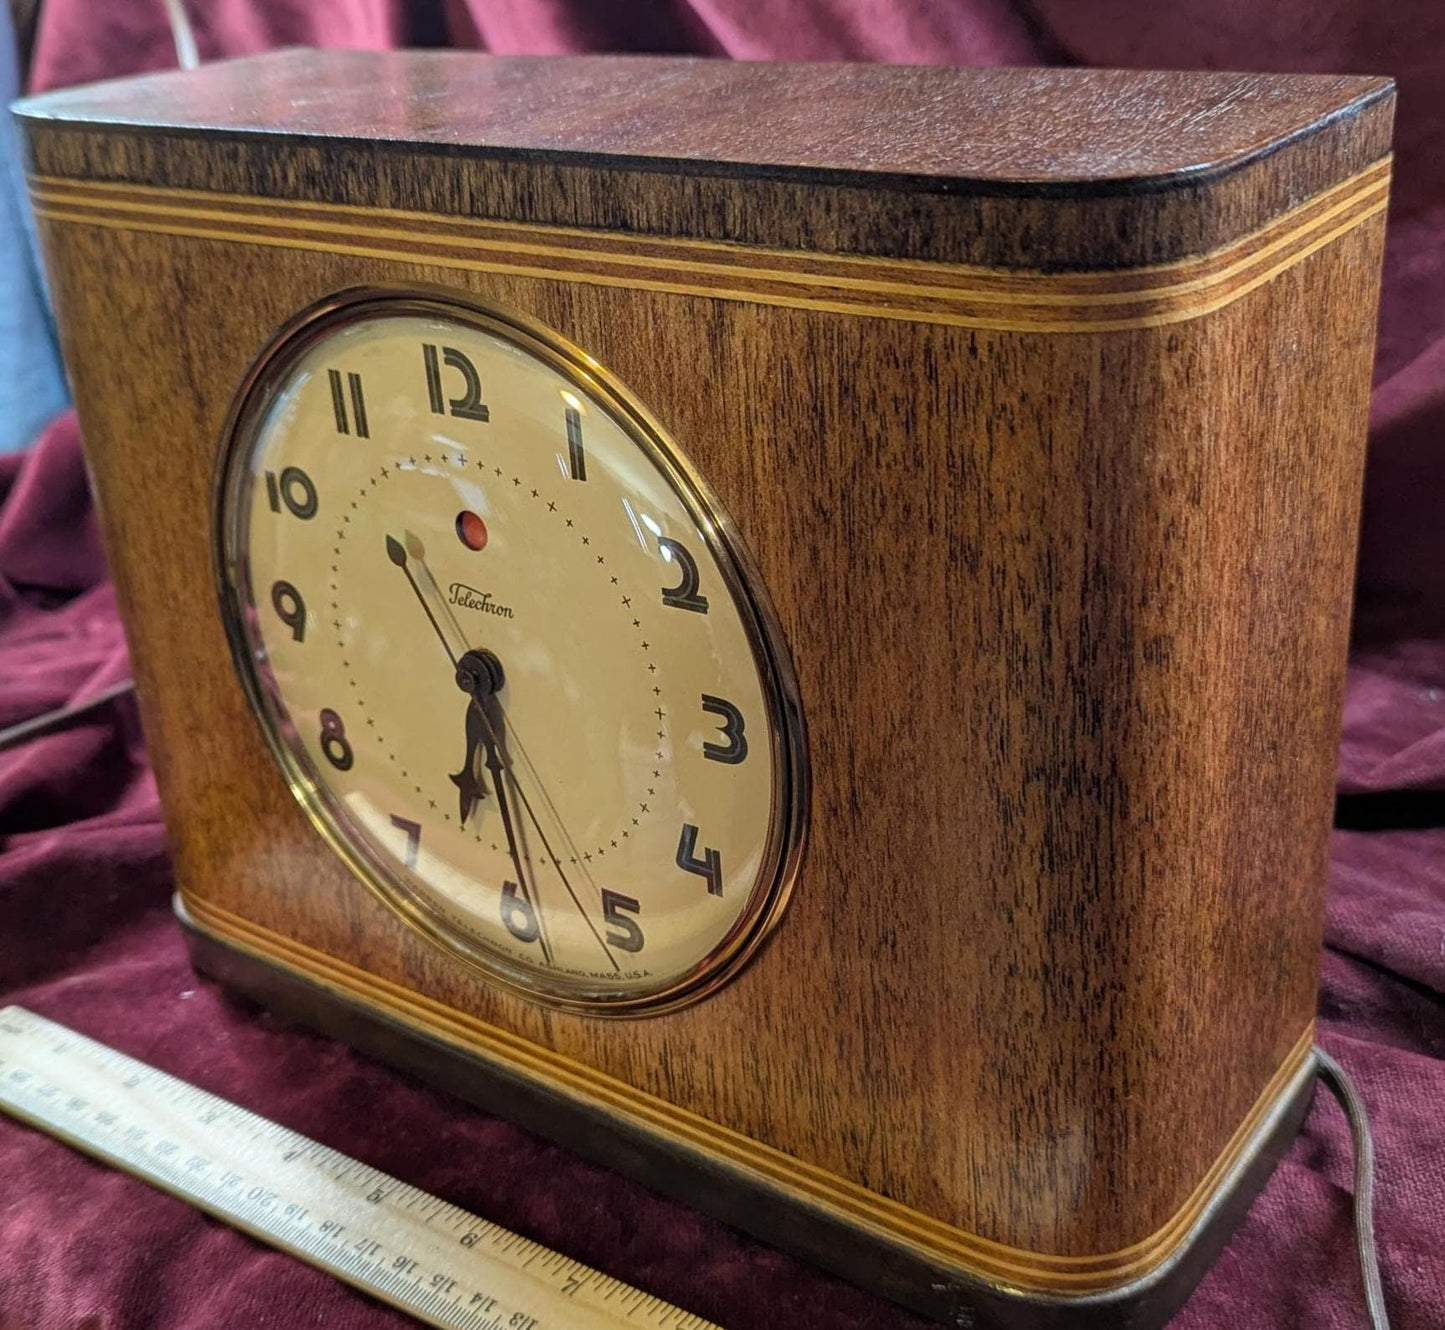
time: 6:29
